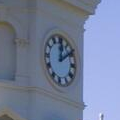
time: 12:09
